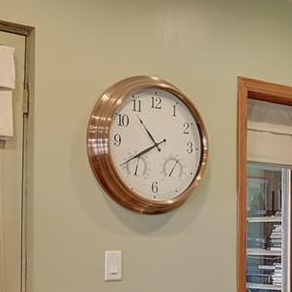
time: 10:39
